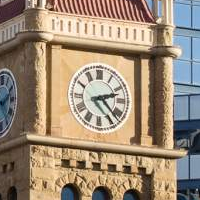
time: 2:22
